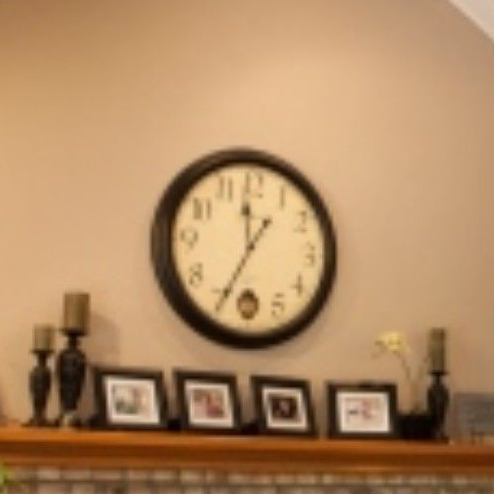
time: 11:34
